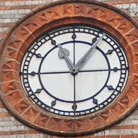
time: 11:06
